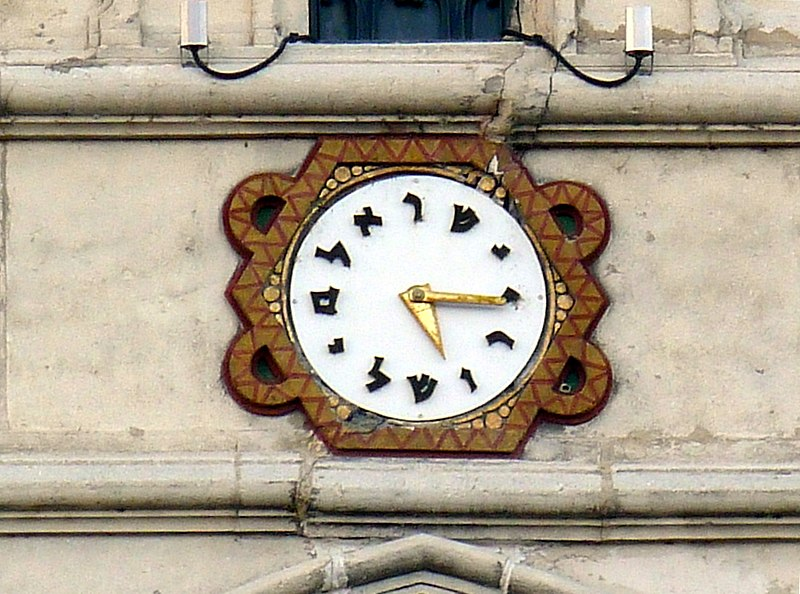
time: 3:15
